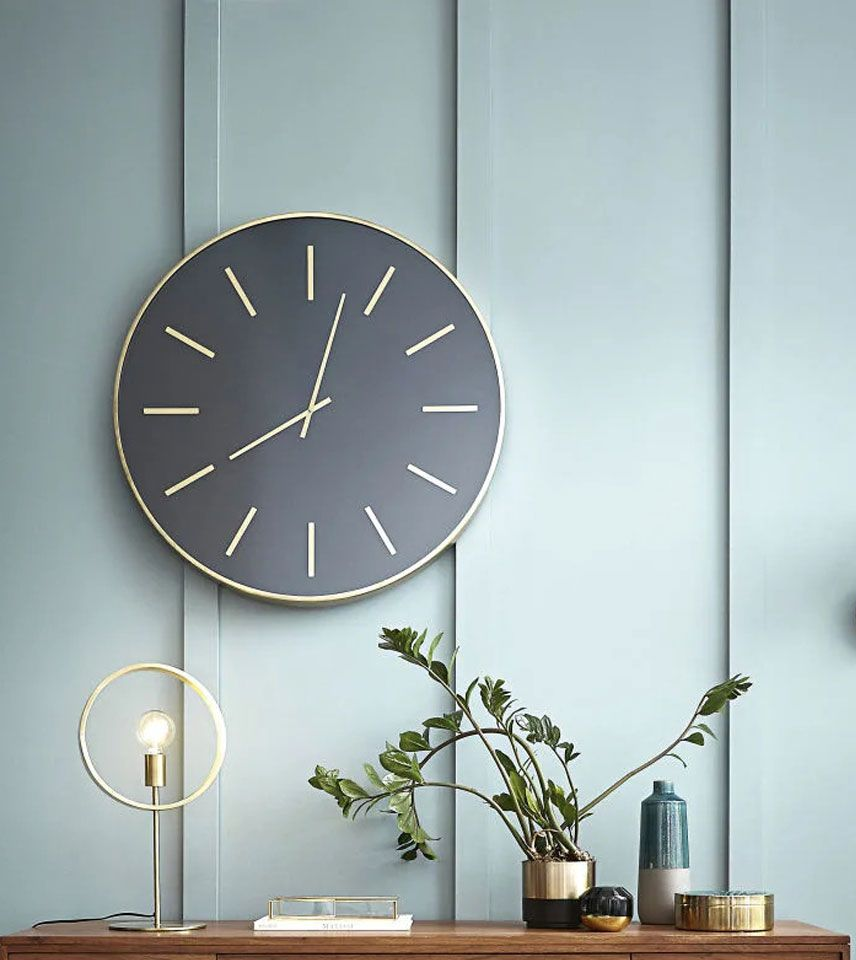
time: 12:40
